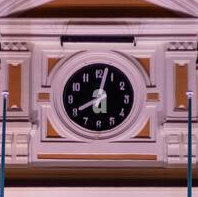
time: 8:02
